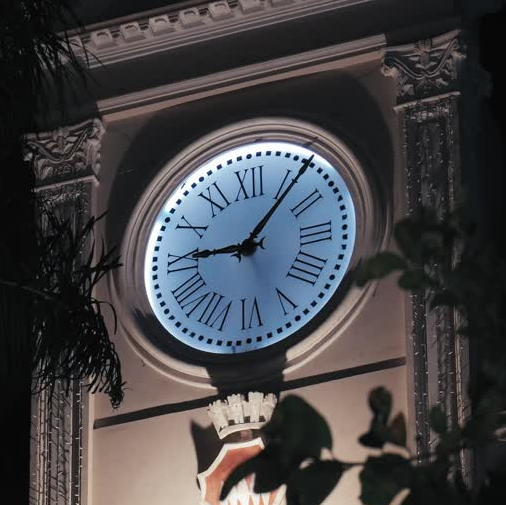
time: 9:06
